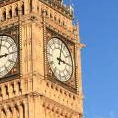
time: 3:02
